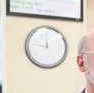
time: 11:46
